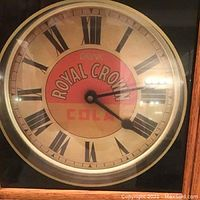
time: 4:13
